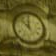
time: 11:52
